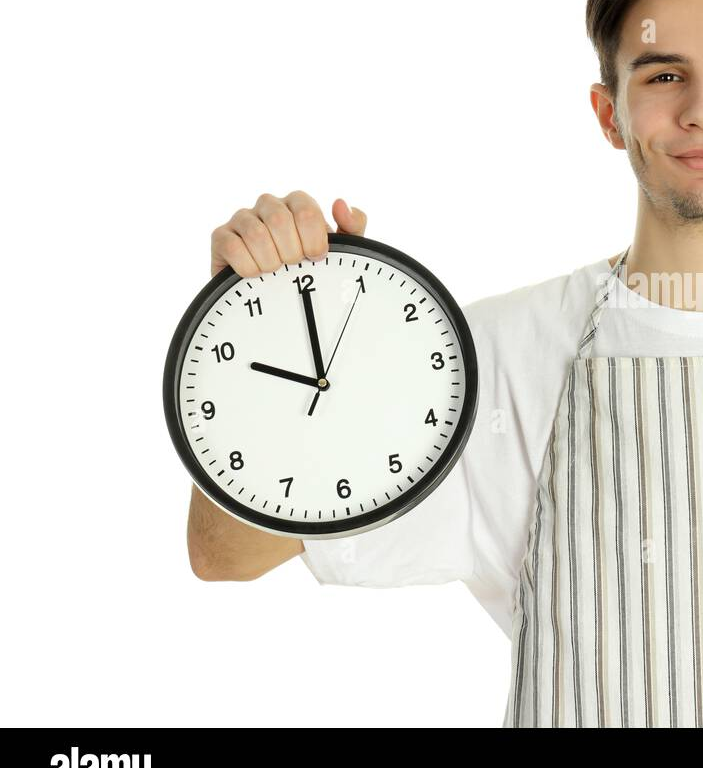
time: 10:00
